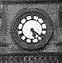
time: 5:21
